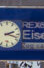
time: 2:18
